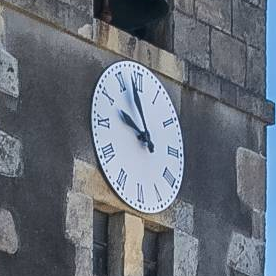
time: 9:57
